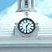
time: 1:30
